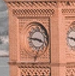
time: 3:44
